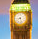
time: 8:27
